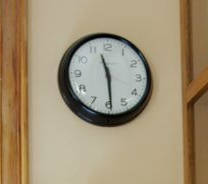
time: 11:29
